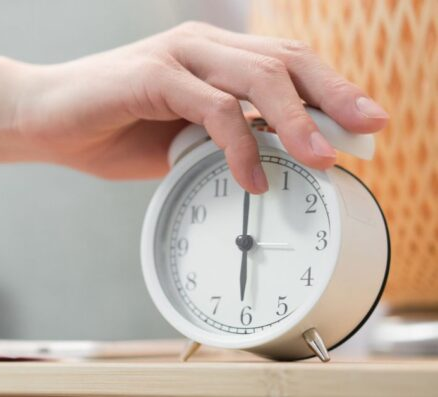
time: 6:00
